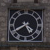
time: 4:40
